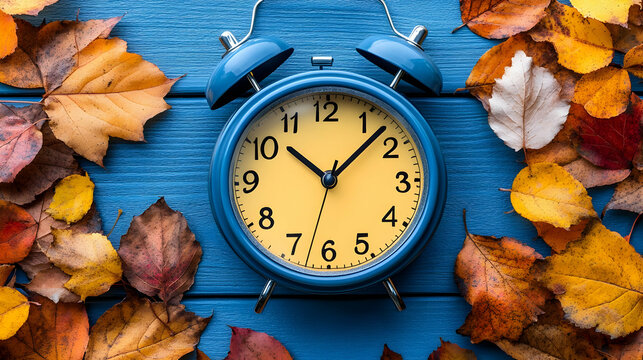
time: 10:07
